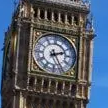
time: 2:25
